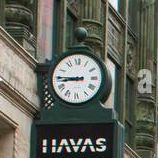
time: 8:45
